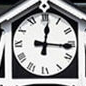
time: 12:15
